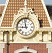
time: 8:58
